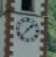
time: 1:36
